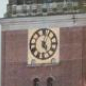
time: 5:02
